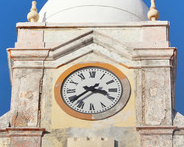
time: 3:38
